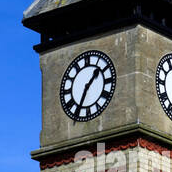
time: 1:34
